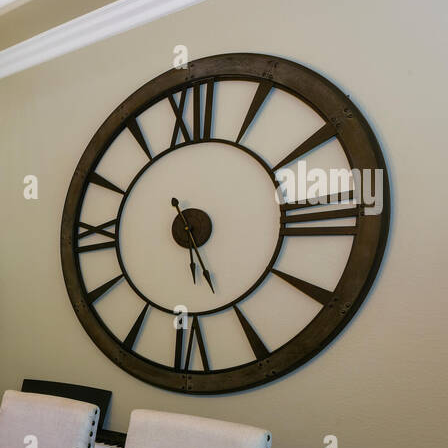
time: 5:26
